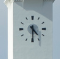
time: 4:30
